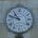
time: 10:48
